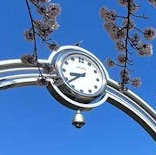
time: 8:38
